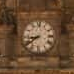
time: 8:39
